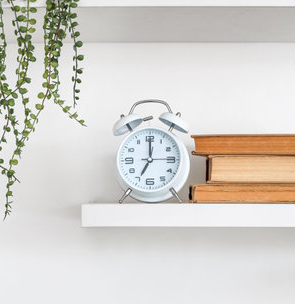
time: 7:00
